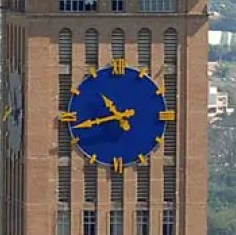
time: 10:42
